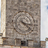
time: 3:22
